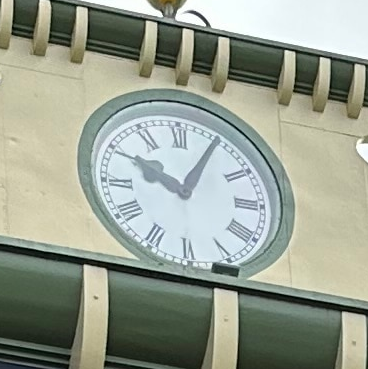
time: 10:04
